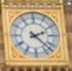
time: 2:22
